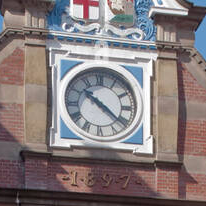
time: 10:21
